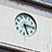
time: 5:14
